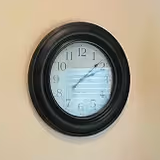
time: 2:08
